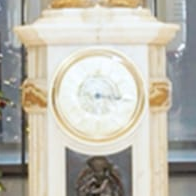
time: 3:16
